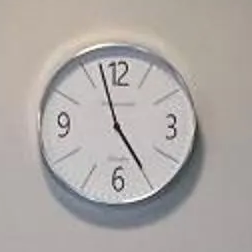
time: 4:57
